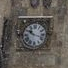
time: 10:17
